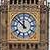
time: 11:52
